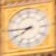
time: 7:44
